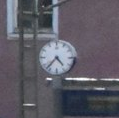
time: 4:37
